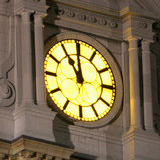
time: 10:59
